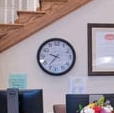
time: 9:36
